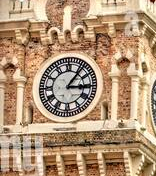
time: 3:06
